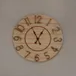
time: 12:55
